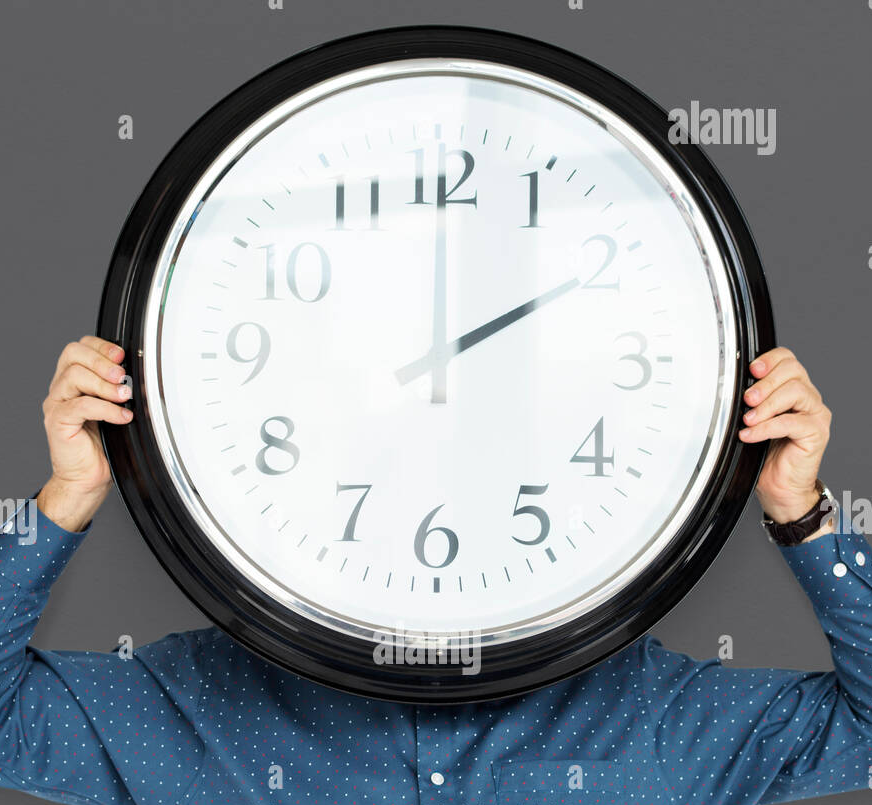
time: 2:00
